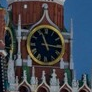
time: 11:15
